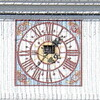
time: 1:36
